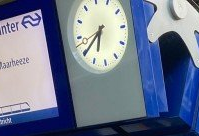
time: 6:39
